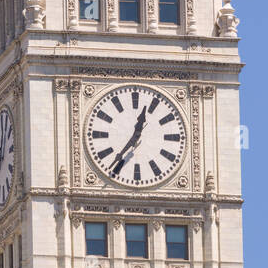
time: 12:36
